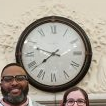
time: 7:48
